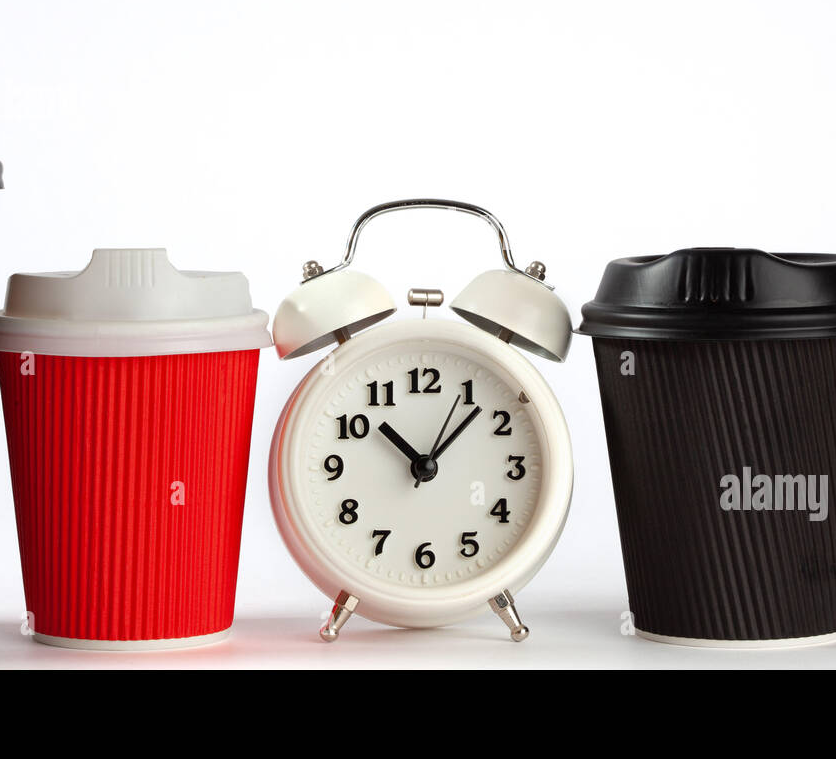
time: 10:07
